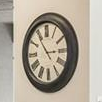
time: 2:54
